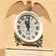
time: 11:01
